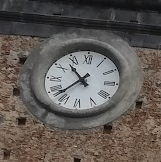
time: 10:37
